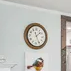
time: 1:26
